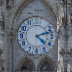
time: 4:12
